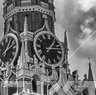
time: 1:13
